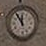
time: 11:54
